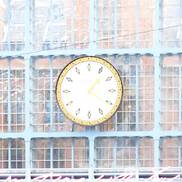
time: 1:20
